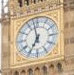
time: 6:58
